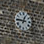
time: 12:46
